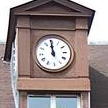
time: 11:59
